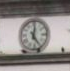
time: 12:24
